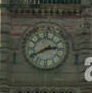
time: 2:40
